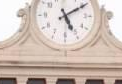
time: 5:09
